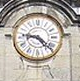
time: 9:22
